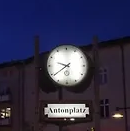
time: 9:39
